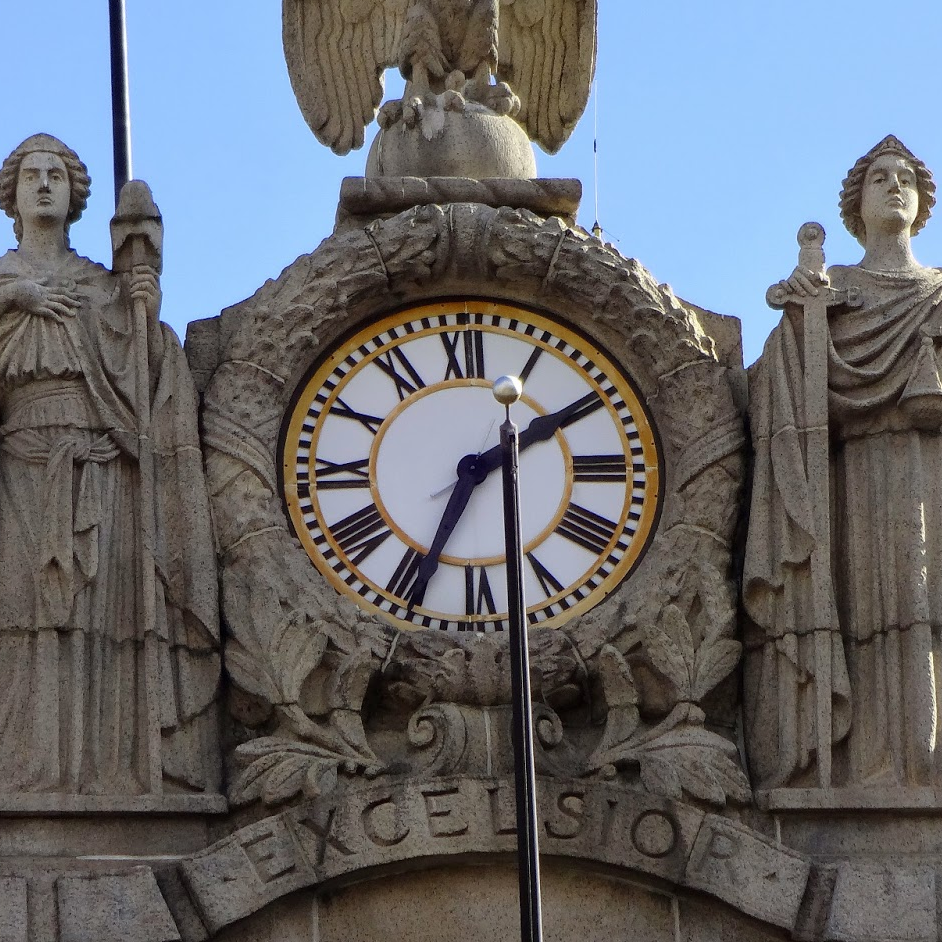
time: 1:34
